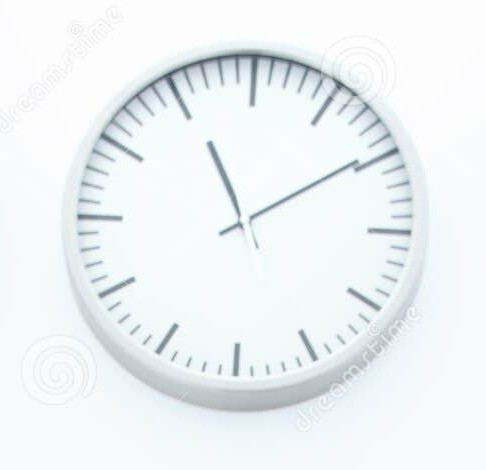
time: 11:09
